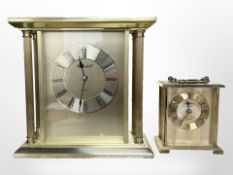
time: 11:32
